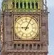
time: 9:04
